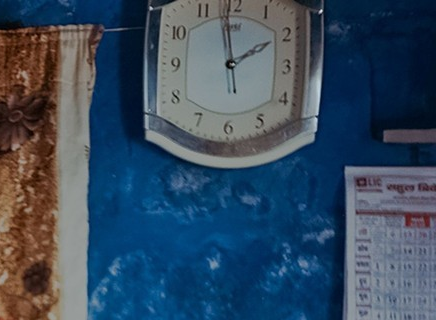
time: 1:58
